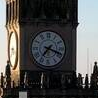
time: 7:18
